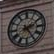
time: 2:24
